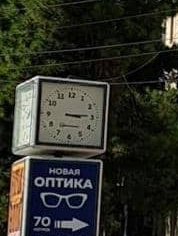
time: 3:14
